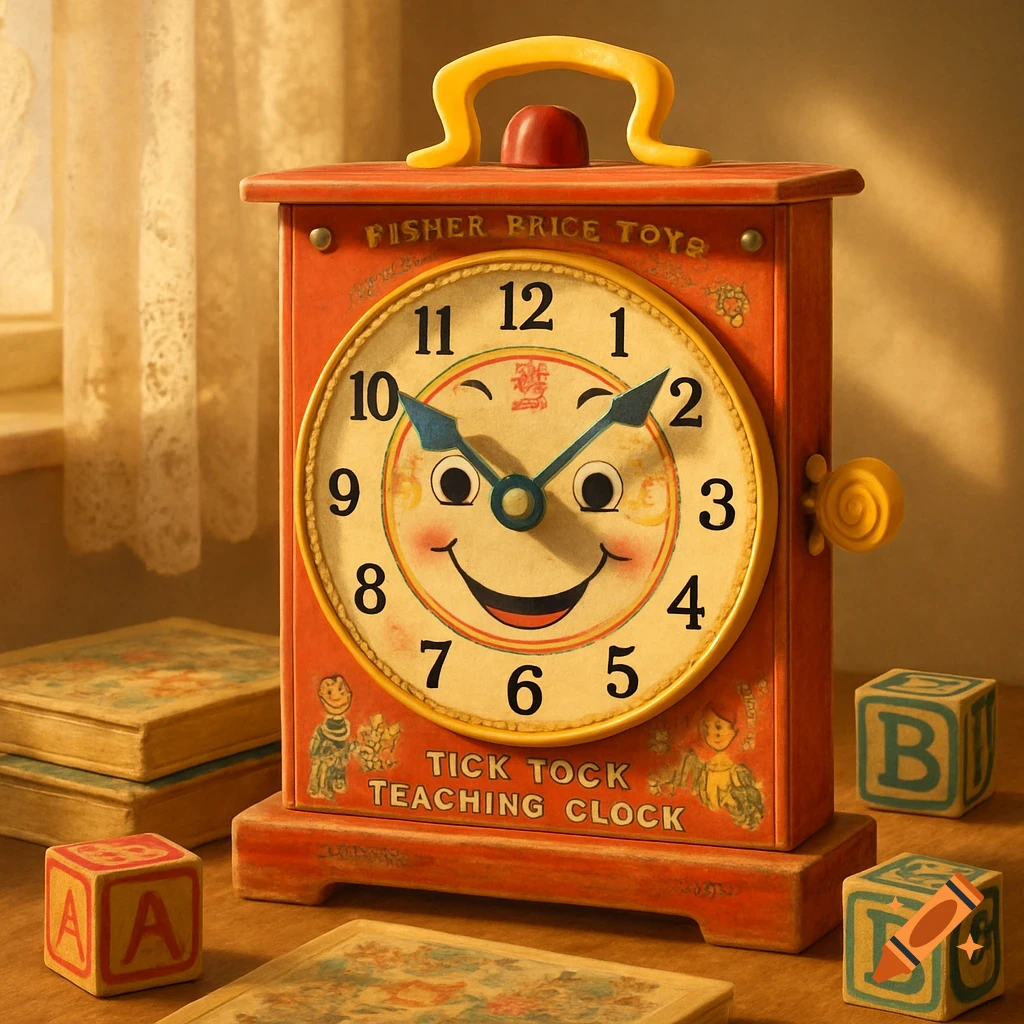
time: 10:08
